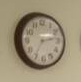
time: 2:35
